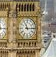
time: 11:14
